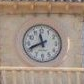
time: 11:41
